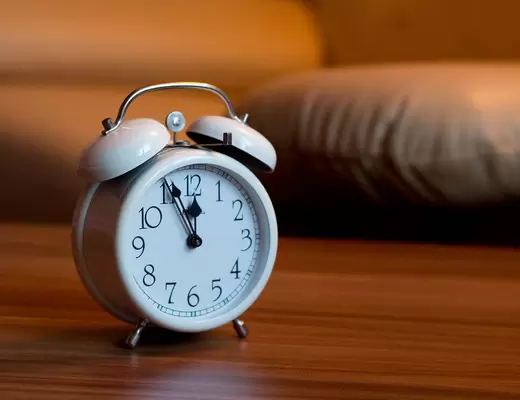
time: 11:56
